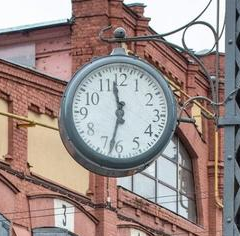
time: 11:32
